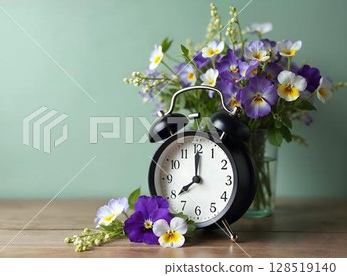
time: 8:00
